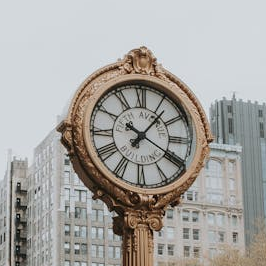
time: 1:19
